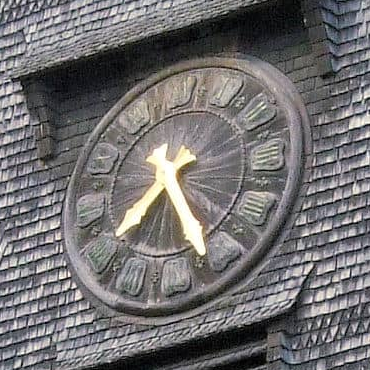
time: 7:24
